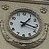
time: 1:17
